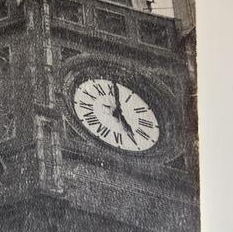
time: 5:00
